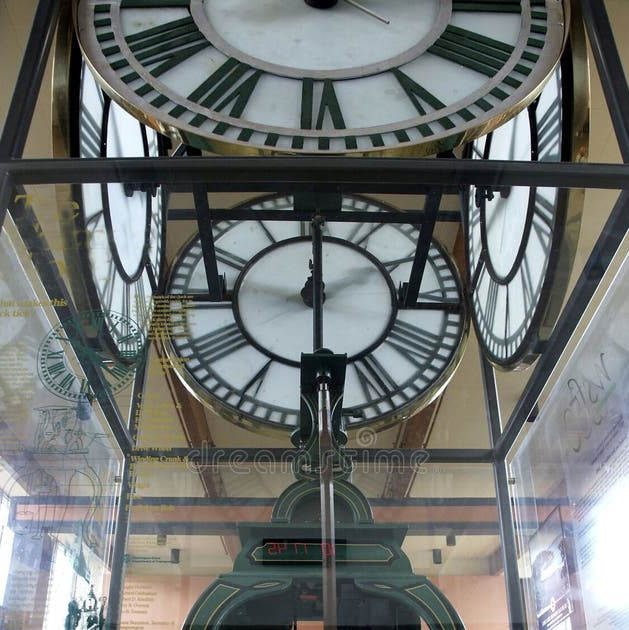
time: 5:59
